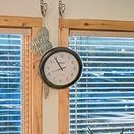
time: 10:54
